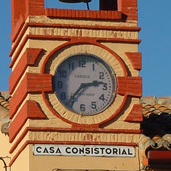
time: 2:36
